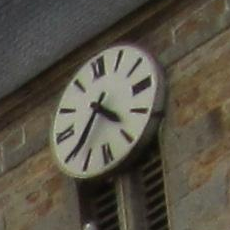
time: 4:35
